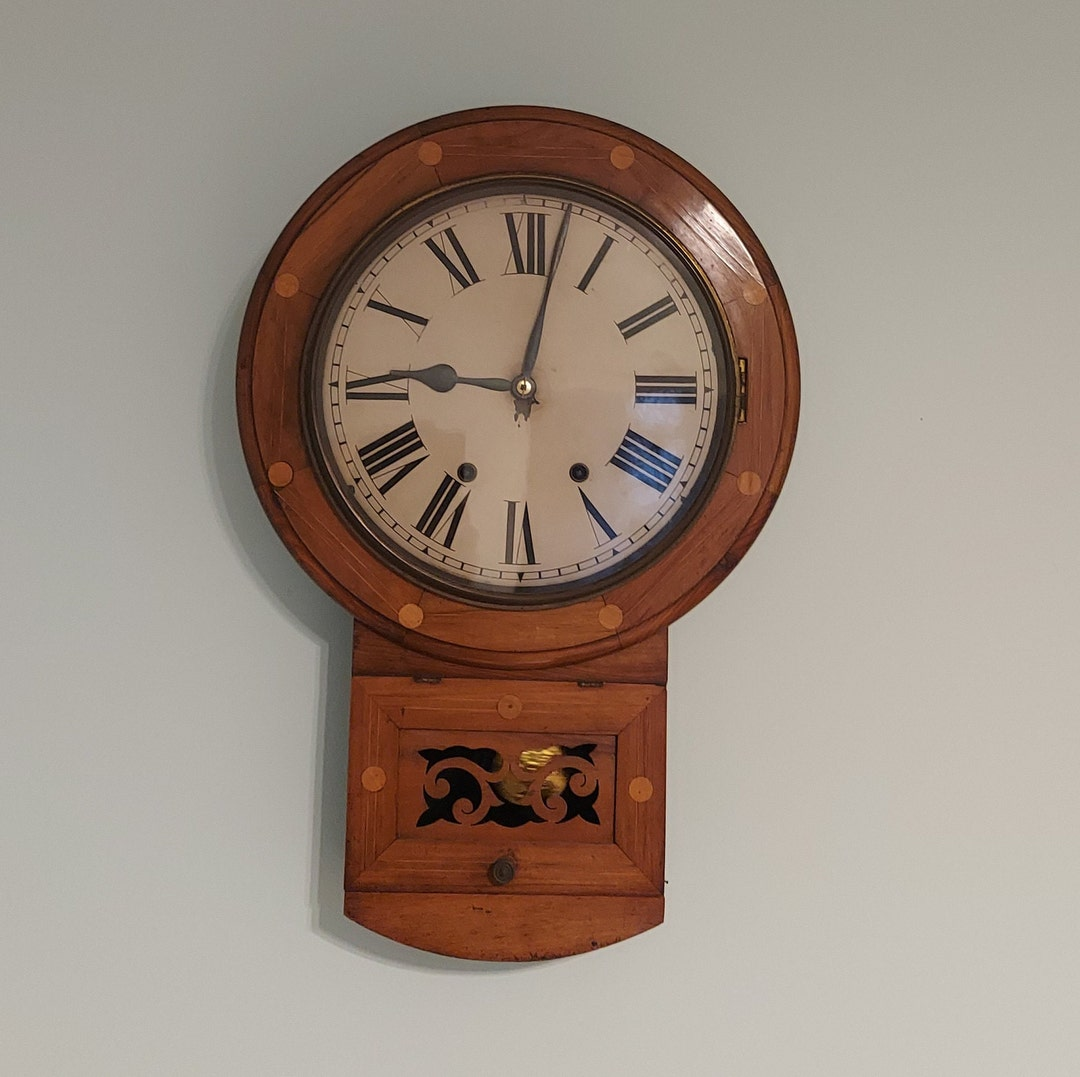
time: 9:01
